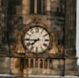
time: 7:44
